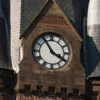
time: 3:54
